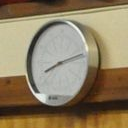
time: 8:12
